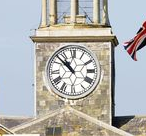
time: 10:52
